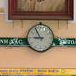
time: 8:54
